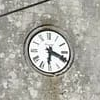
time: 6:18
